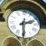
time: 2:30
